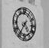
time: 4:35
